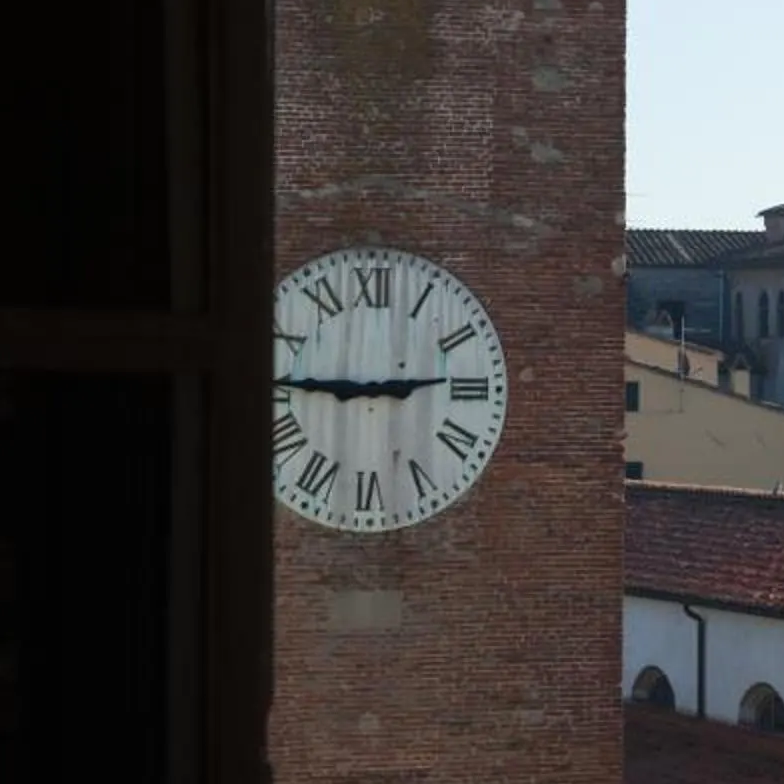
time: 2:45
